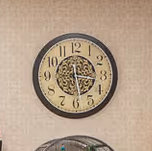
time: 3:28
